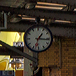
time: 1:16
